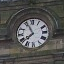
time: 7:55
